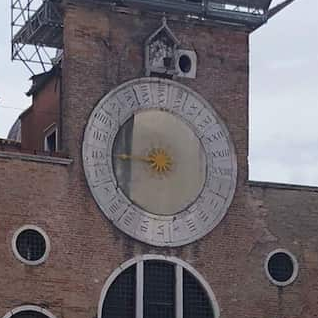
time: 8:45
